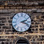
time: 2:18
